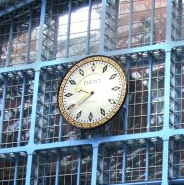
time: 9:38
